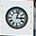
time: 3:02
